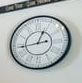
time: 12:43
